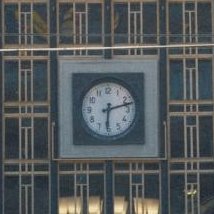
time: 6:12
